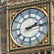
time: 2:13
